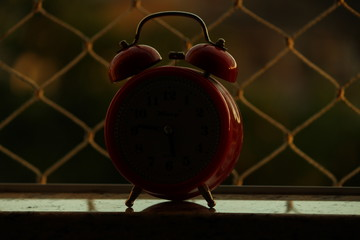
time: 5:45
